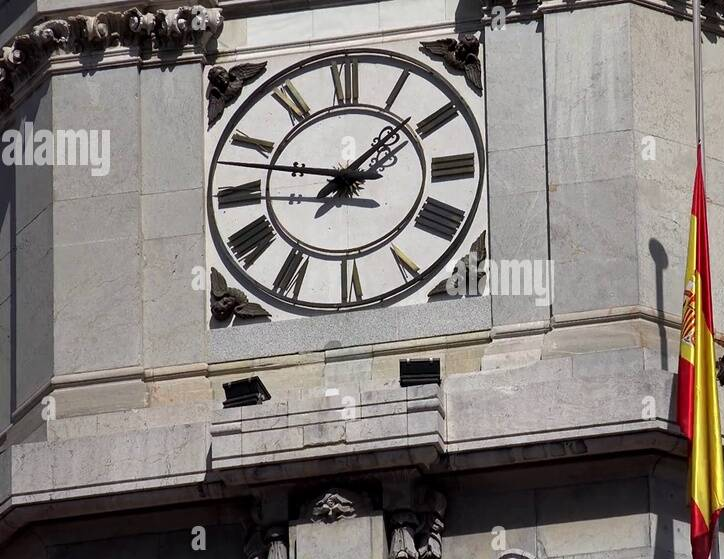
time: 1:47
